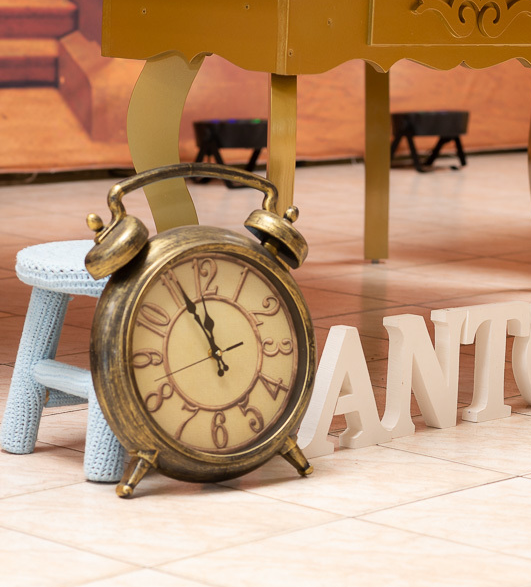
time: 11:55
